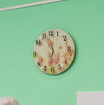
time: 11:32
